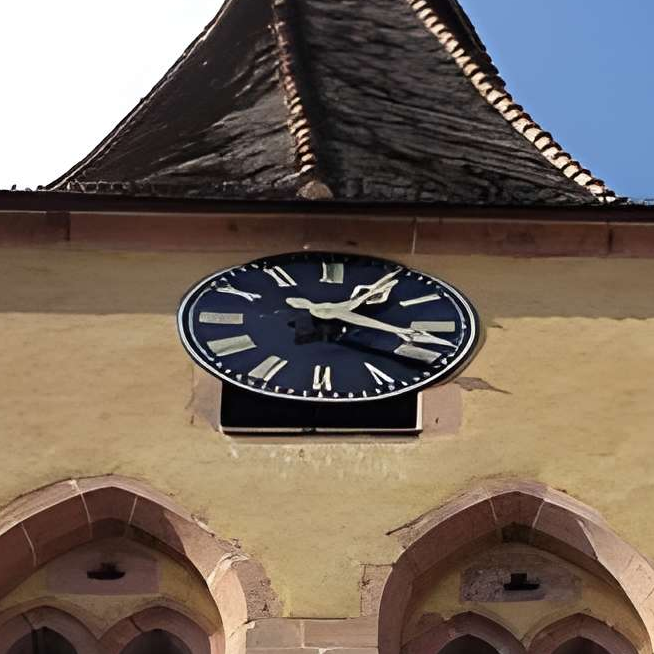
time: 1:18
